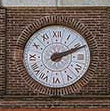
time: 2:11
